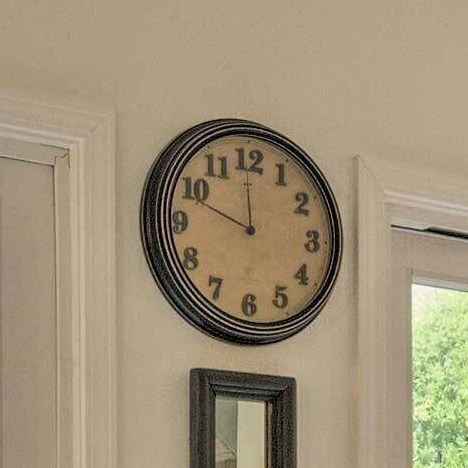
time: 11:48
